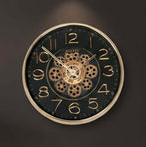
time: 6:52
